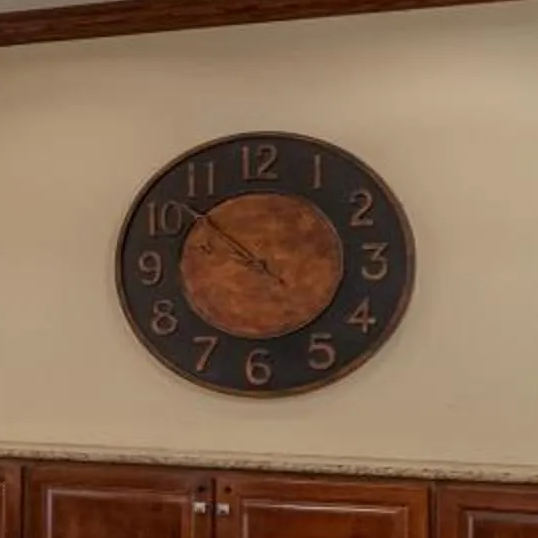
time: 8:52
